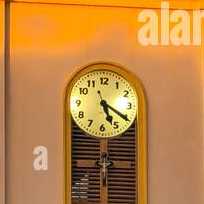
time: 5:20
